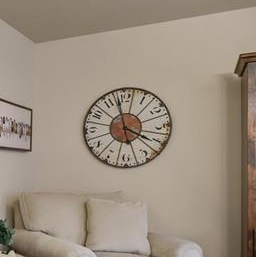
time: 3:58
